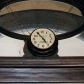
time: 4:54
